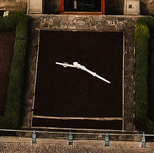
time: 9:18
